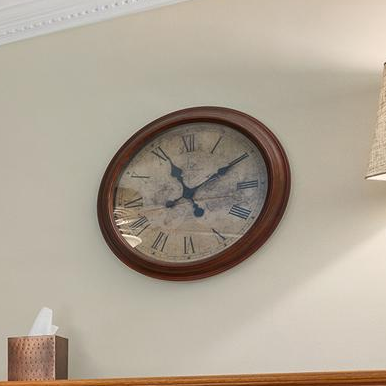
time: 11:09
